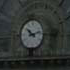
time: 10:12
